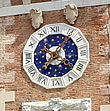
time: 7:06
